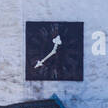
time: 12:38
